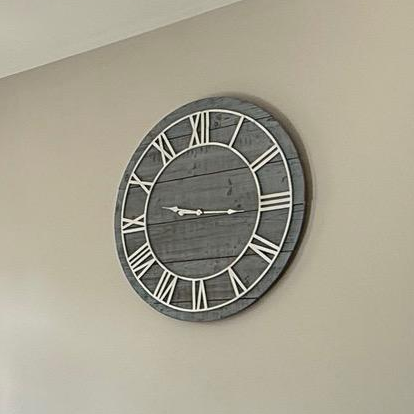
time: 9:15
